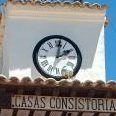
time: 2:01
